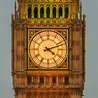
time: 4:11
